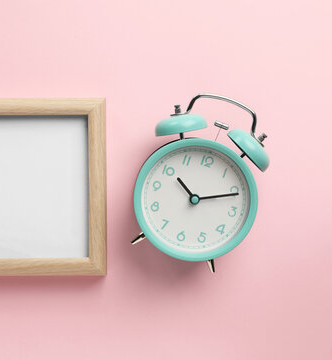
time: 10:11
